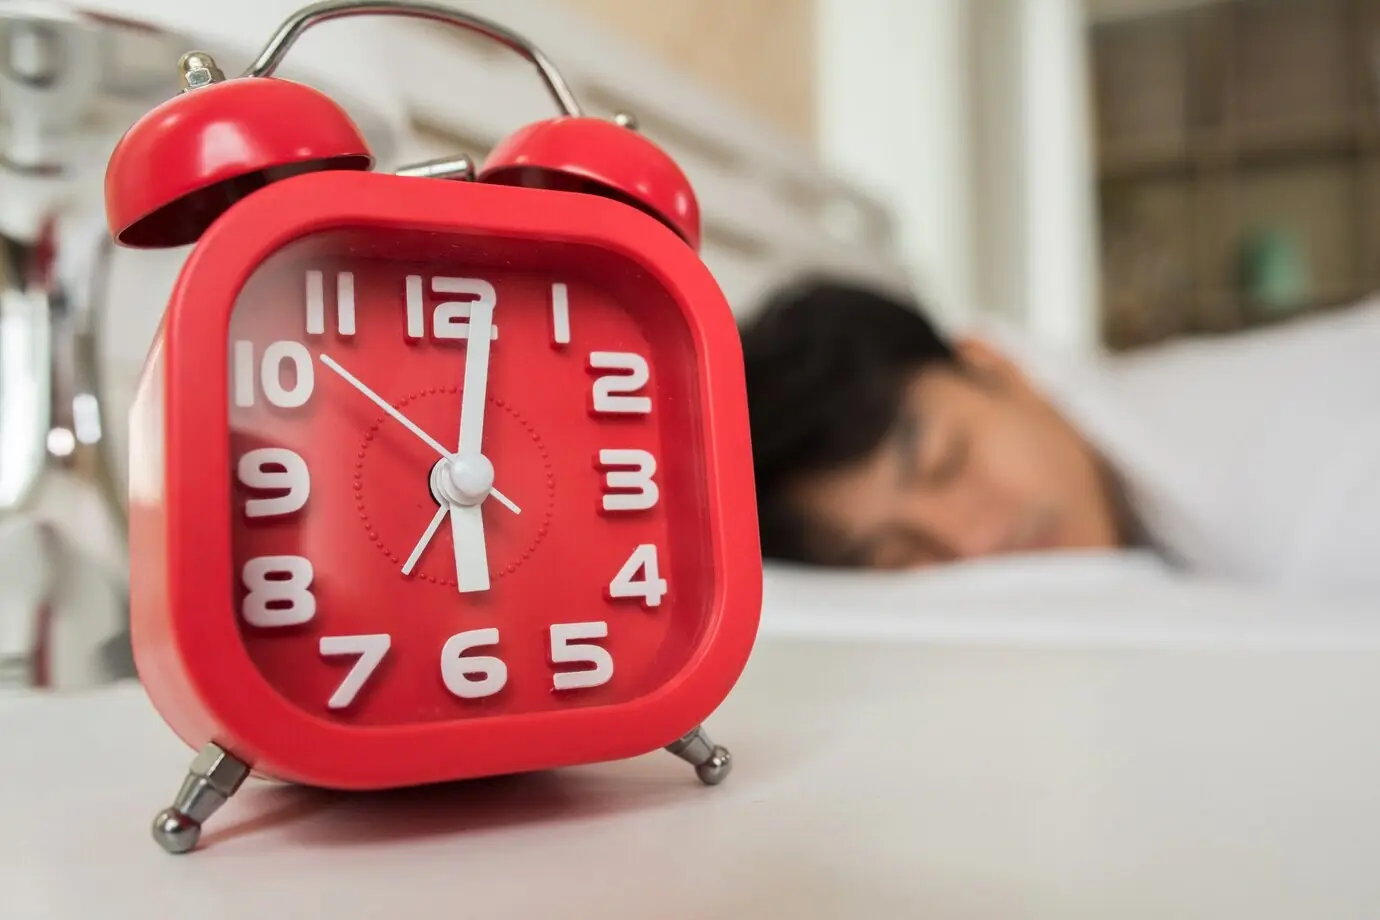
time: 6:01
